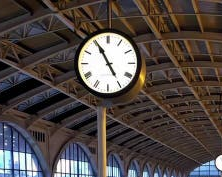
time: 4:55
